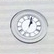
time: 1:02
